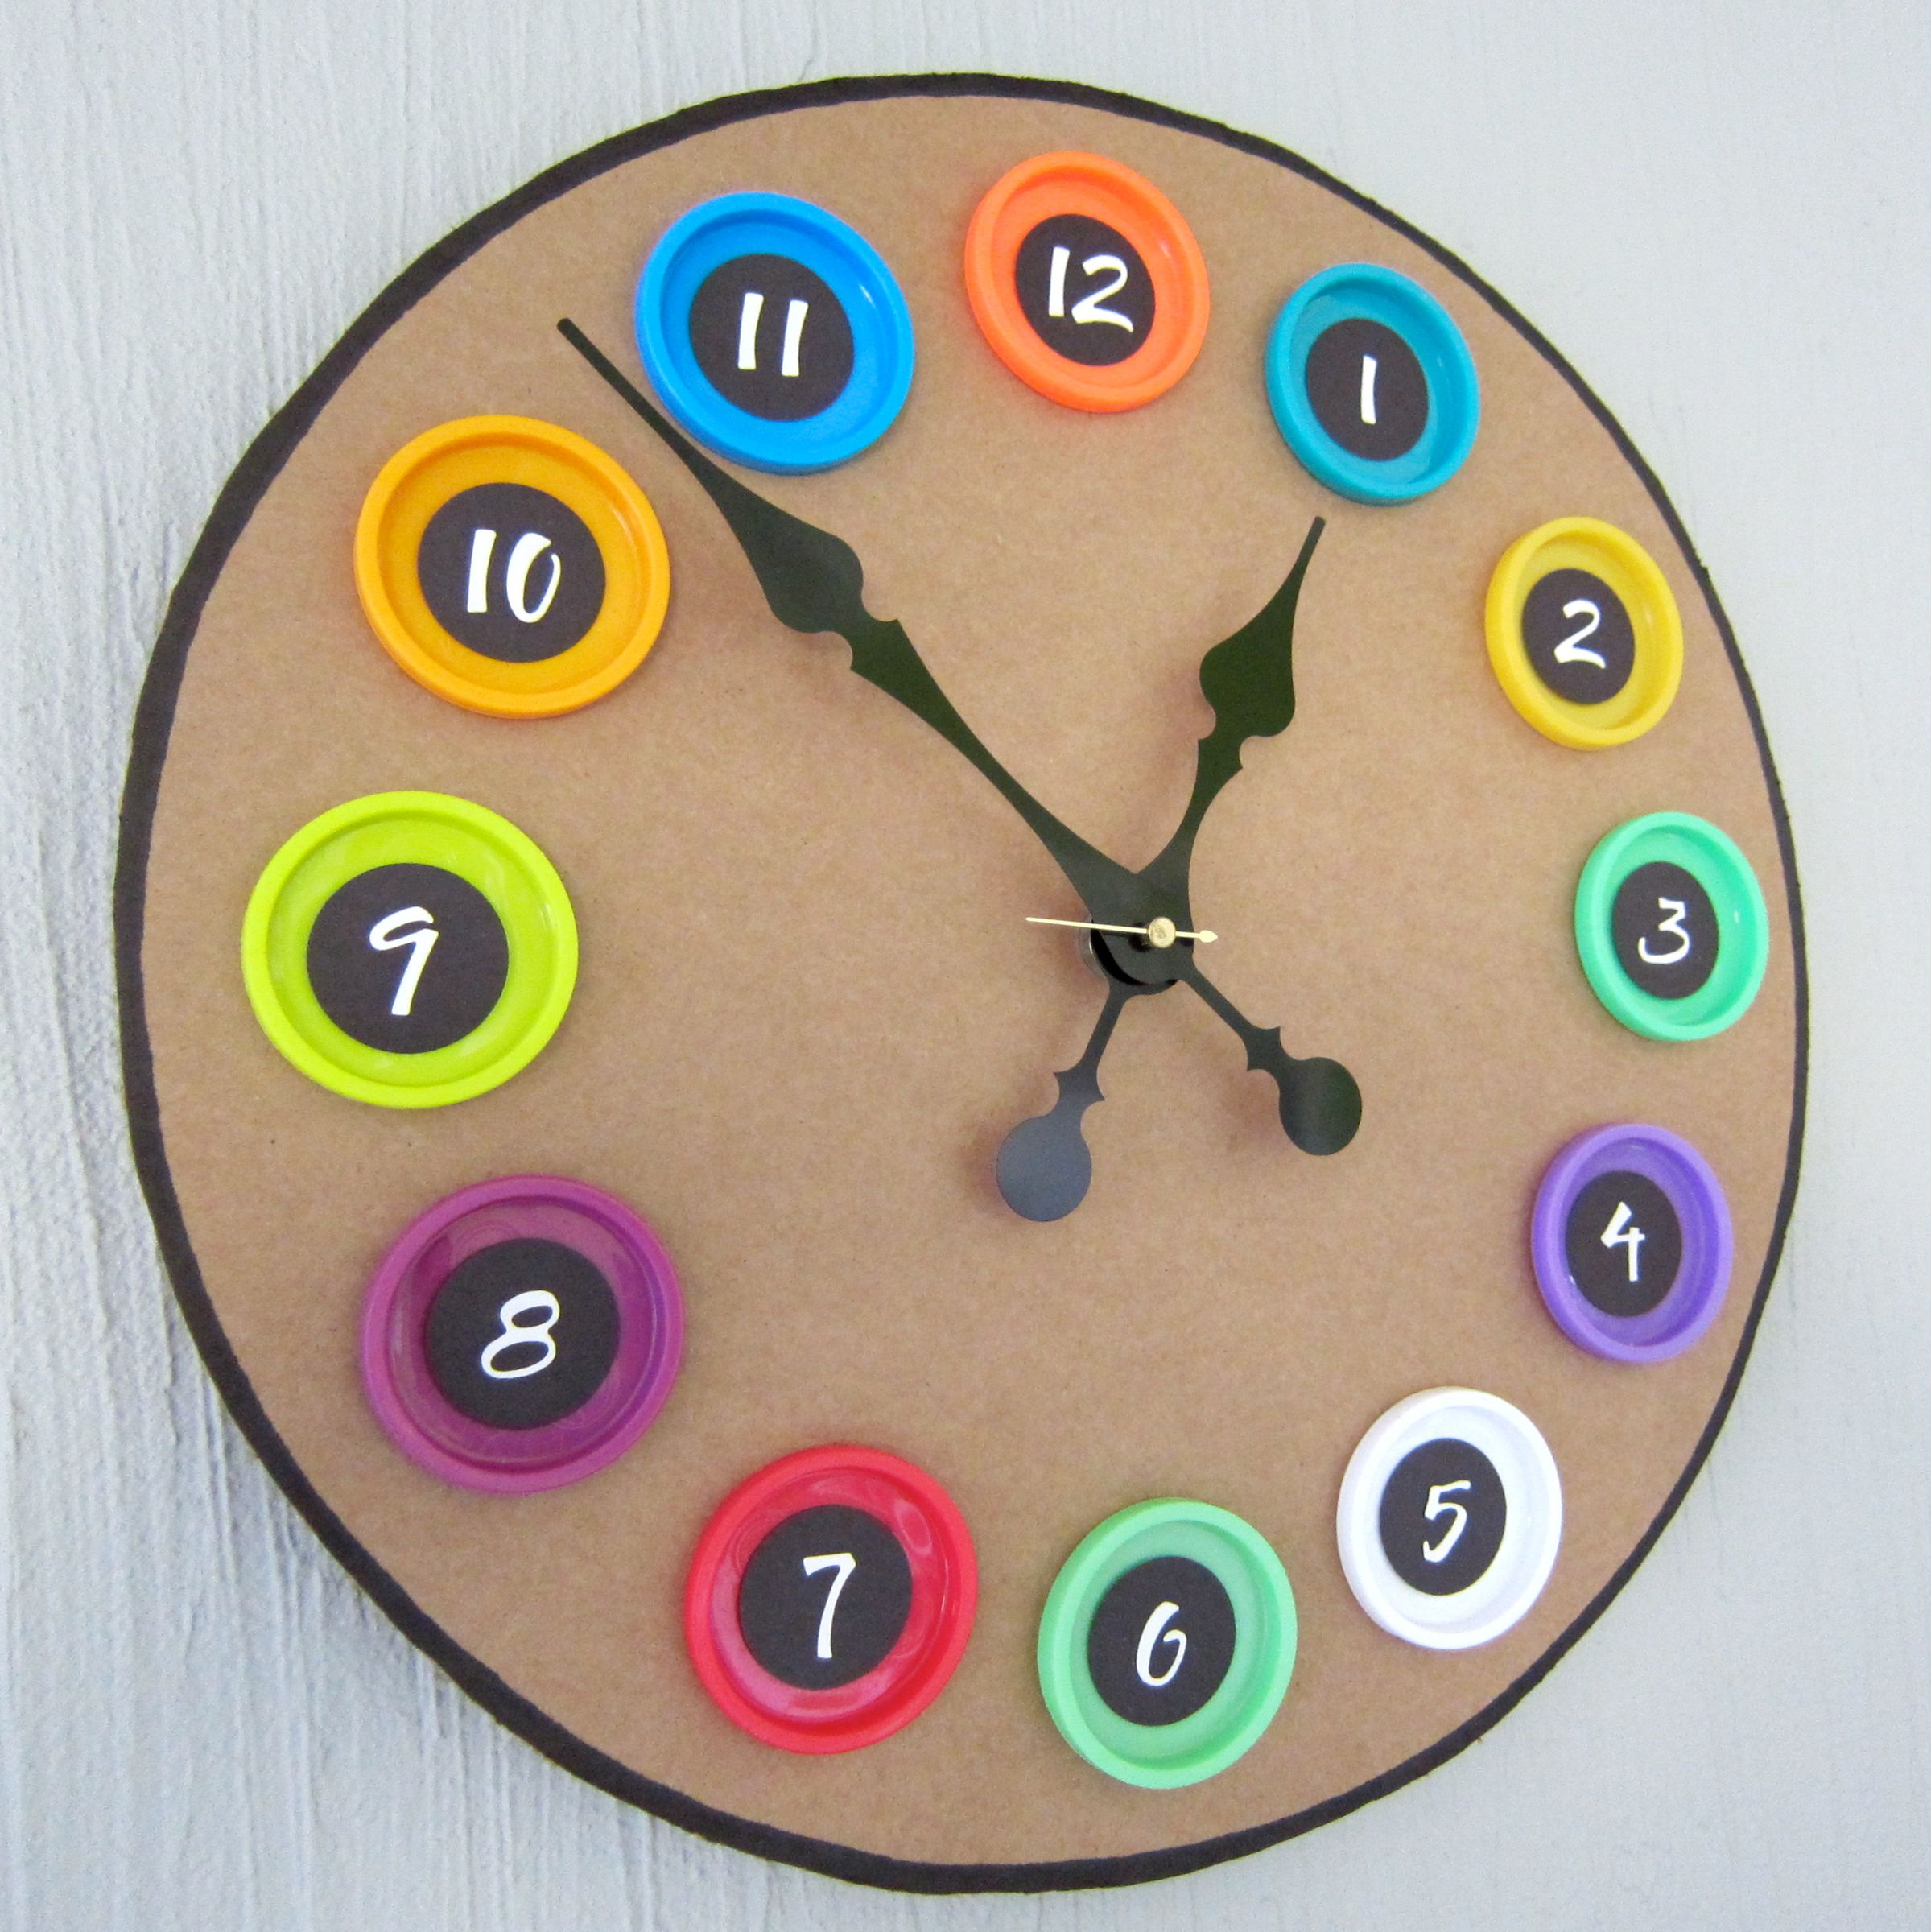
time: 12:52
